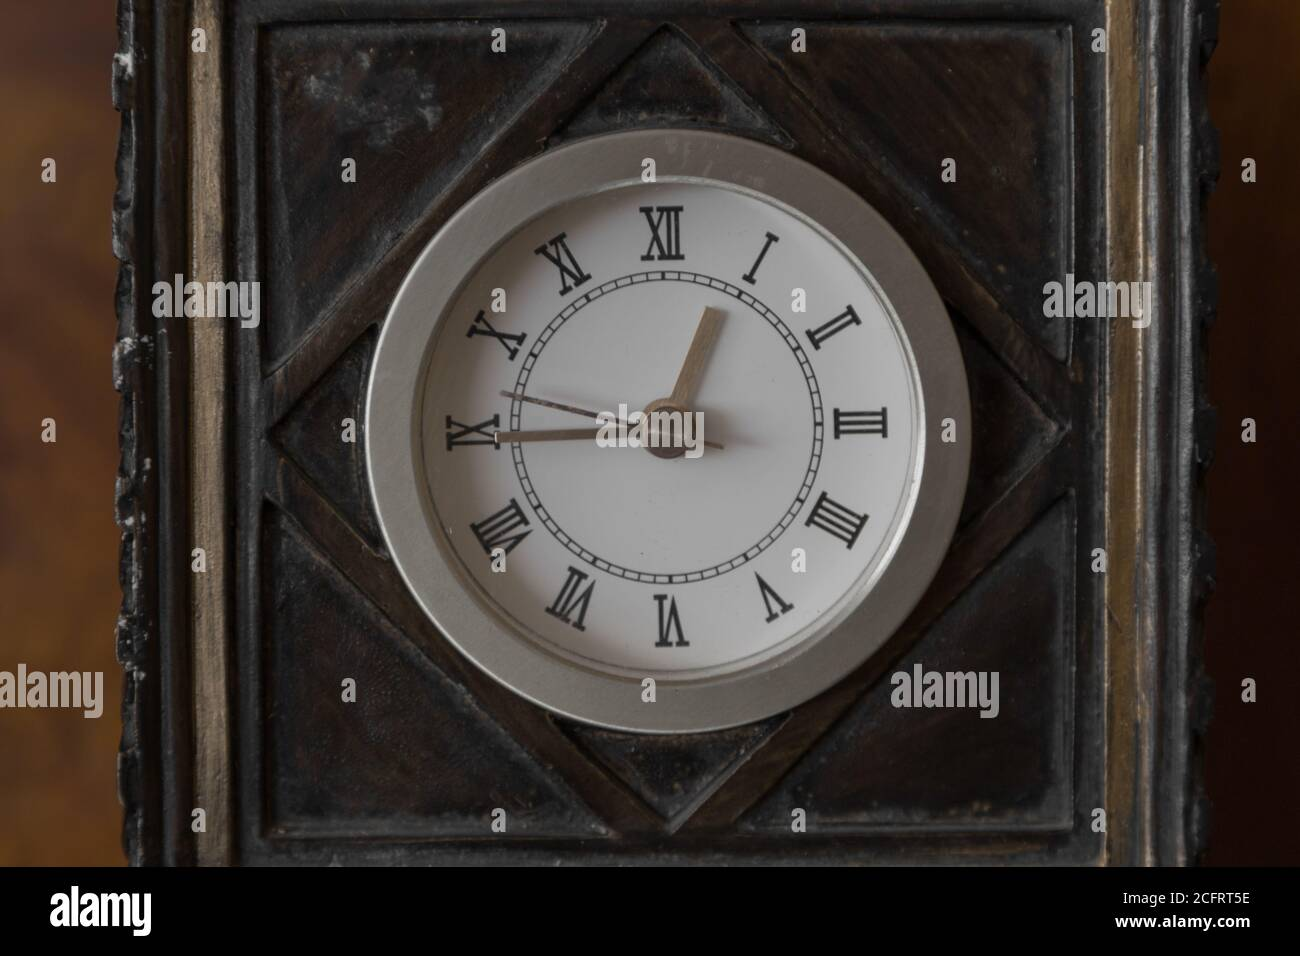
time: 12:45
